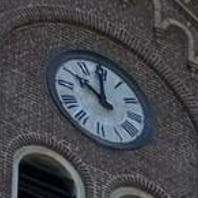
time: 9:59
